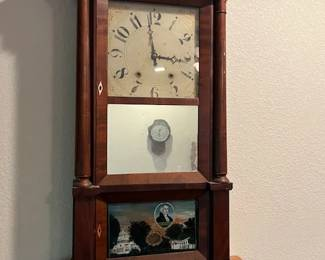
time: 2:58
